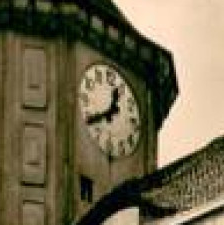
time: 12:40
